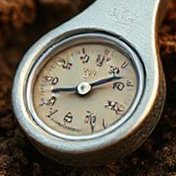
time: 9:12
